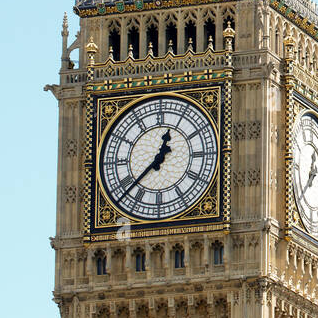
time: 12:37
